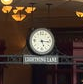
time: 5:15
